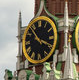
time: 3:52
